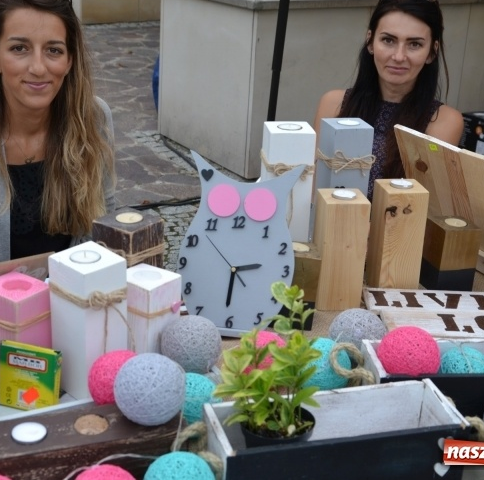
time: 2:30
